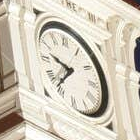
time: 9:36
